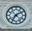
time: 7:09
